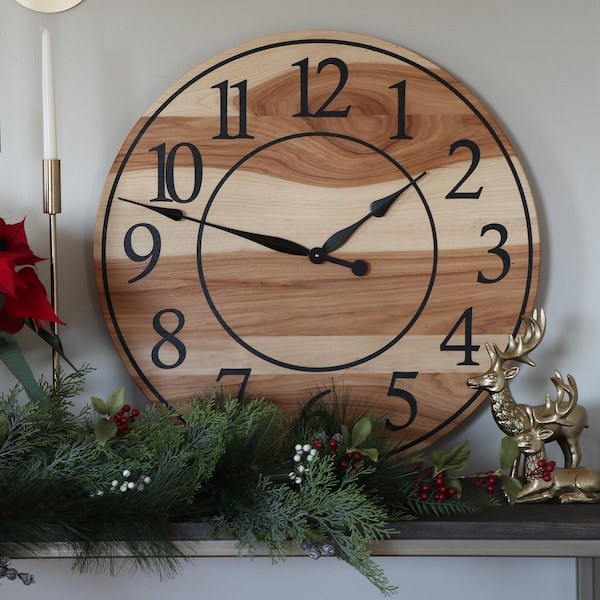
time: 1:47
